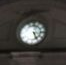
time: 5:15
